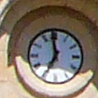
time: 6:58
